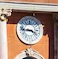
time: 3:43
